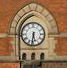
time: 5:31
